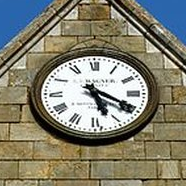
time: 5:19
